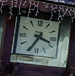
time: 3:34
